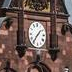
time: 1:36
